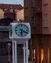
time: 6:18
